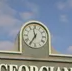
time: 11:35
